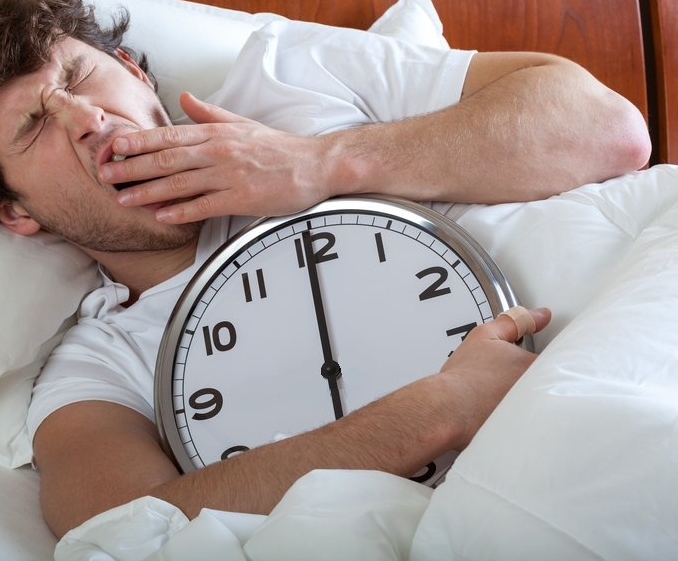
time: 11:59
